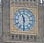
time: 11:30
